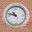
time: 10:47
